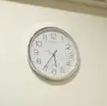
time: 5:35
